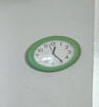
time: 12:24
